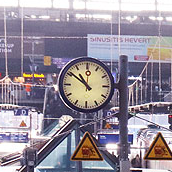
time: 10:51
